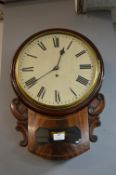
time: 12:39
